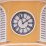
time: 1:56
